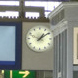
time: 1:09
